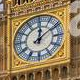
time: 12:09
